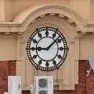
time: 9:08
